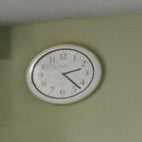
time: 2:23
